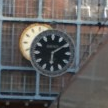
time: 6:09
